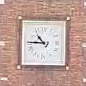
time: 10:45
